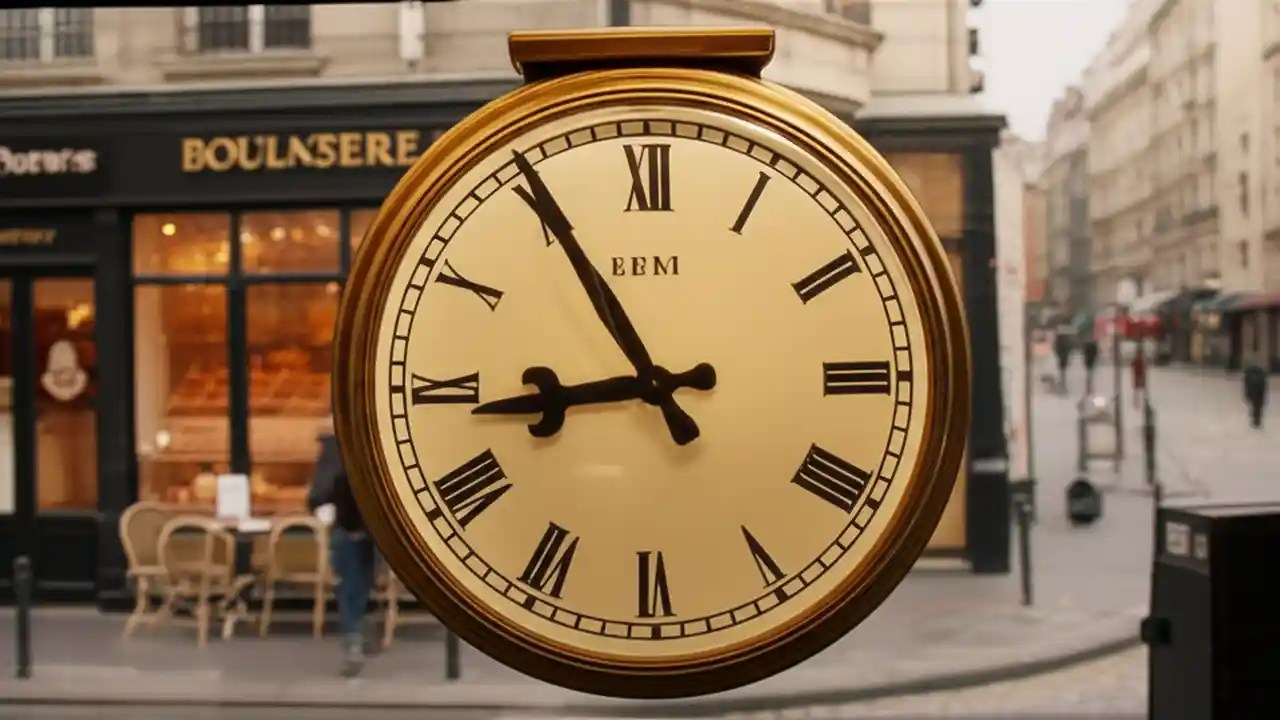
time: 8:54
